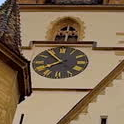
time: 7:53
